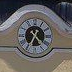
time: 4:35
